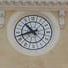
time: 10:42
